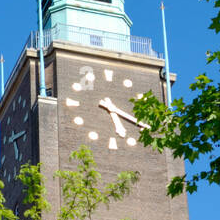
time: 5:18
